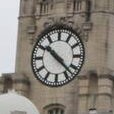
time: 10:22
